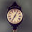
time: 7:04
